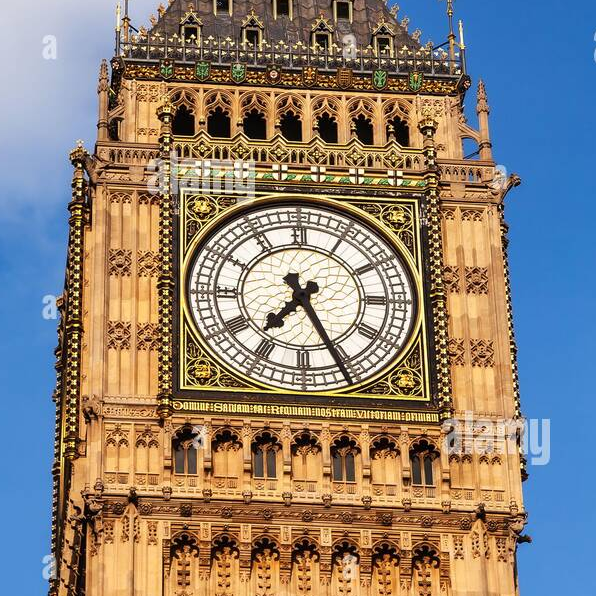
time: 7:25
